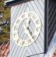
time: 12:23
